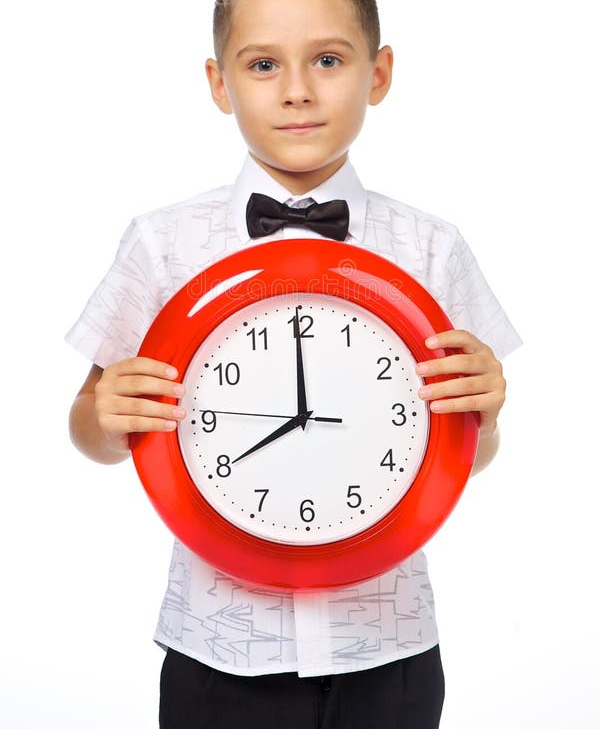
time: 7:59
